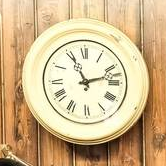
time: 11:12
